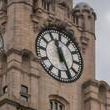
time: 11:24
